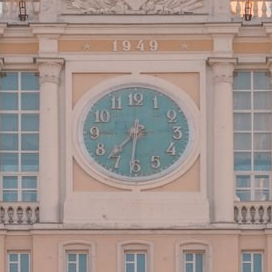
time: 7:31
